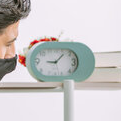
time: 9:07
